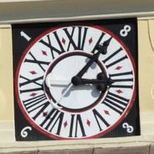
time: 3:06
